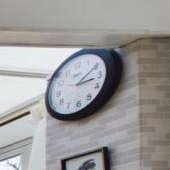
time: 3:10
